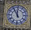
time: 11:55
